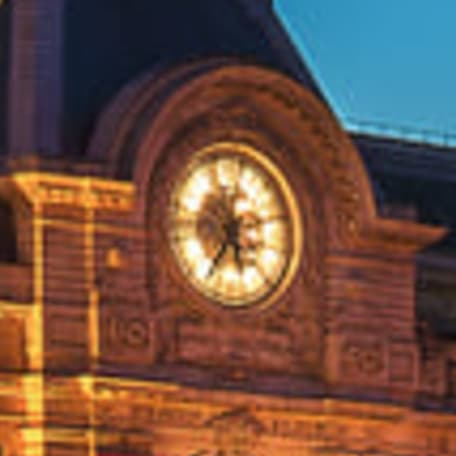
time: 5:36
